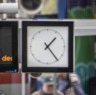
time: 1:23
